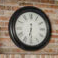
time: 6:30
